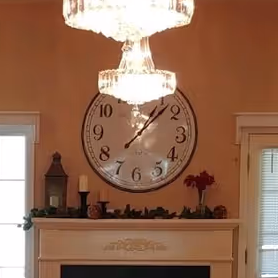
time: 1:07
